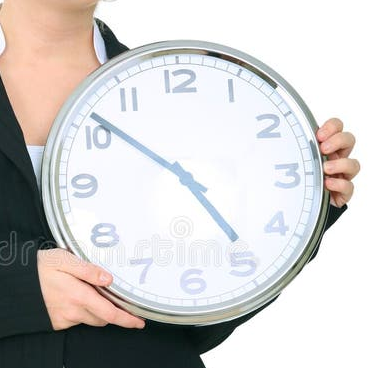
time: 4:51
